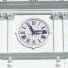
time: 11:13
